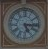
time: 5:15
